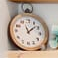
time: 11:08
